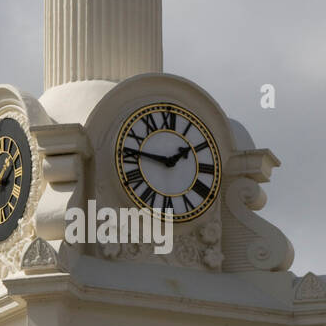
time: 1:46
